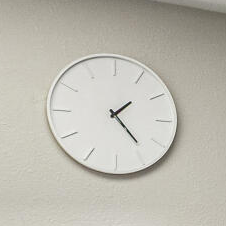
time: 1:23
